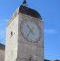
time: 4:35
